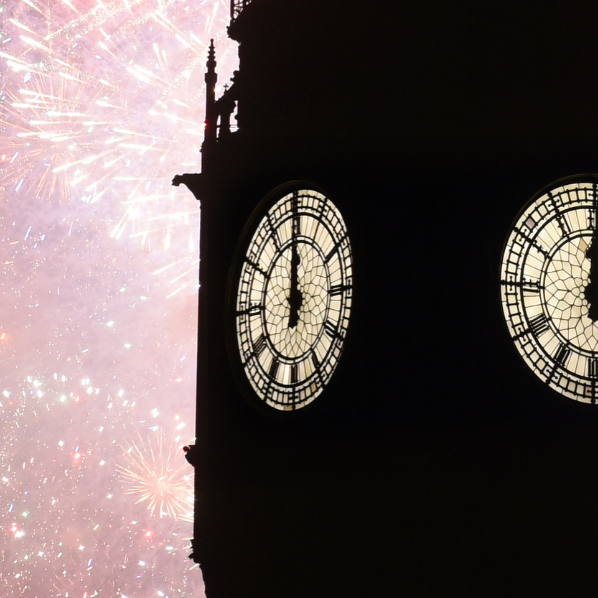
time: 11:59
